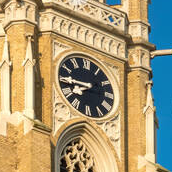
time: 7:44
